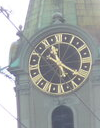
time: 11:19
